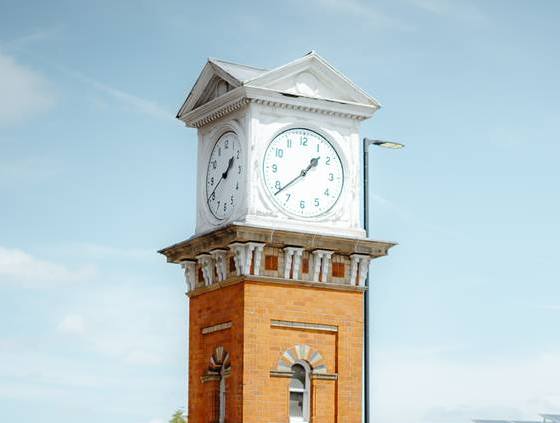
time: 1:38
